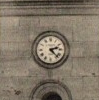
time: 2:22
